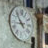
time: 8:53
